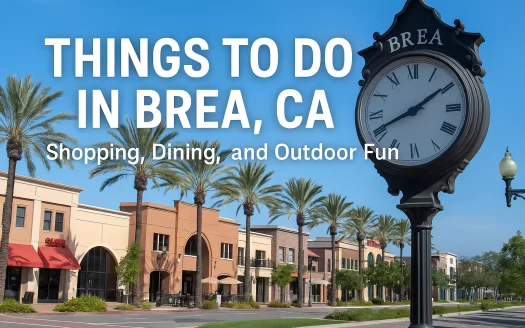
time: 8:09
